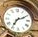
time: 7:10
